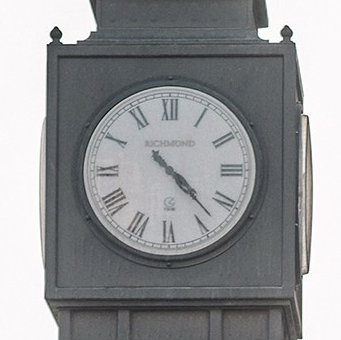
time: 4:22
